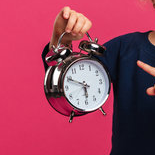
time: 5:49
